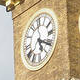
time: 5:20
